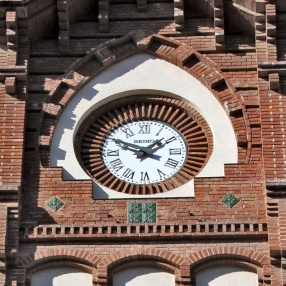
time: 1:49
